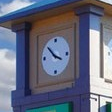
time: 3:51
